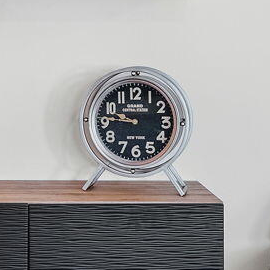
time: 9:45
